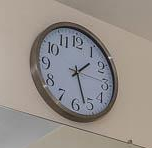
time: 1:26
